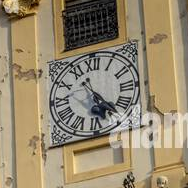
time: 5:23
